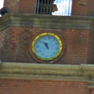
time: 10:52
